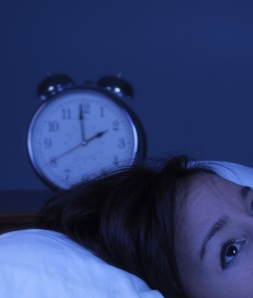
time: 1:59
